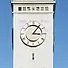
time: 3:06
